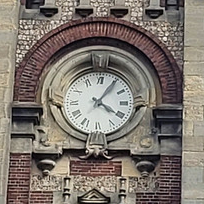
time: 4:05
